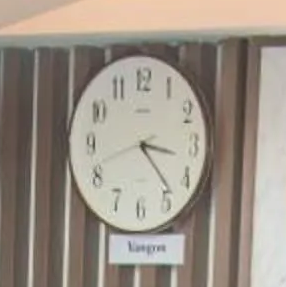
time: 3:22
